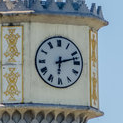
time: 6:12
